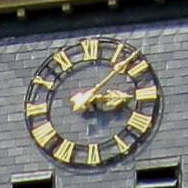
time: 3:07
